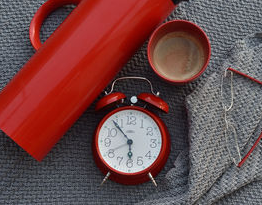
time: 5:53
